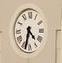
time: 4:32
